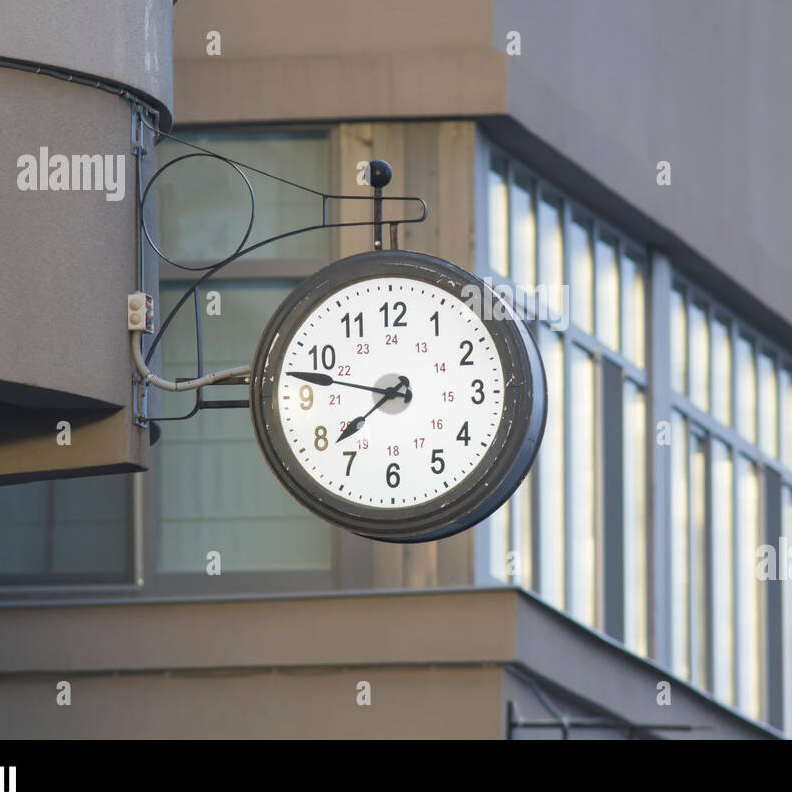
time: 7:47
